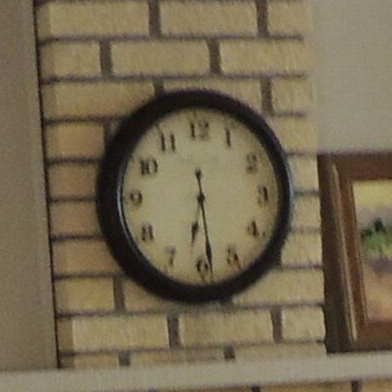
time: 6:28
